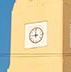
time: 8:59
